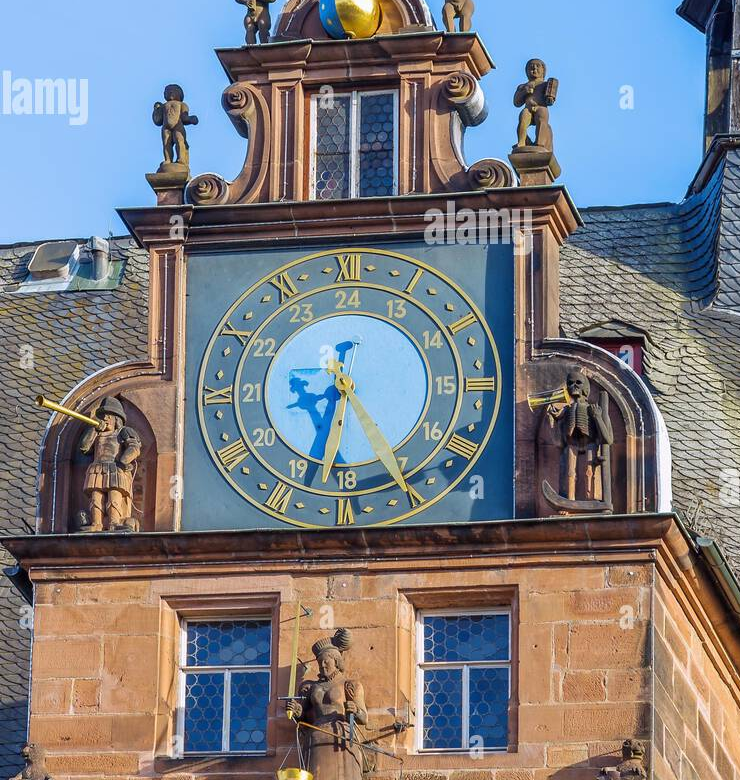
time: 8:33
